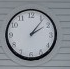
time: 2:06
